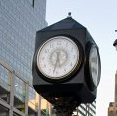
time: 5:32
